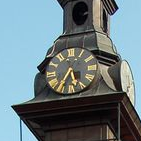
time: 5:35
